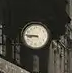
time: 8:46
